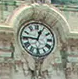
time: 12:46
